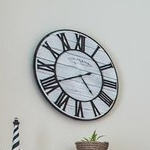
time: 4:40
